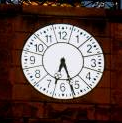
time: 6:26
